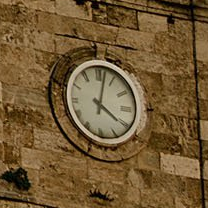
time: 4:02
